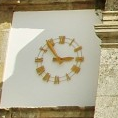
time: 2:53
